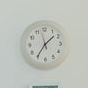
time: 1:35
